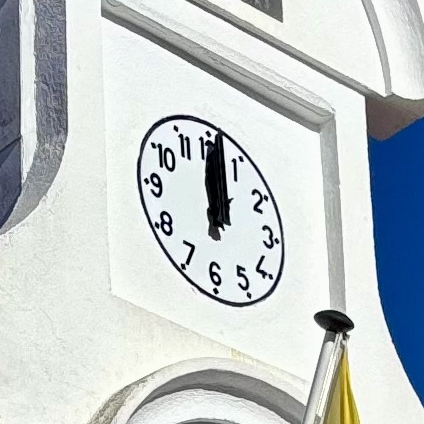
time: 12:01
